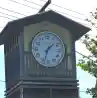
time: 1:32
